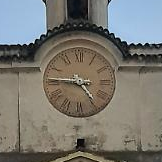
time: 4:45
